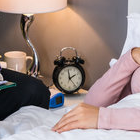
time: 1:59
